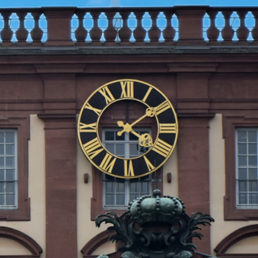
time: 4:09
